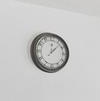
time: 12:07
